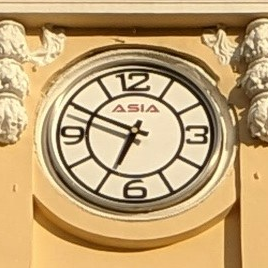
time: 6:48
